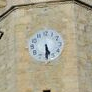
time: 5:30
